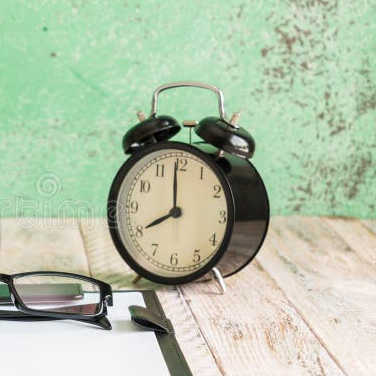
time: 7:59
